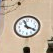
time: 11:19
